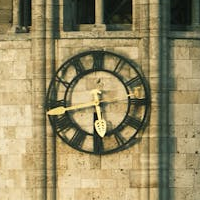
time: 5:43
